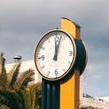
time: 12:03
